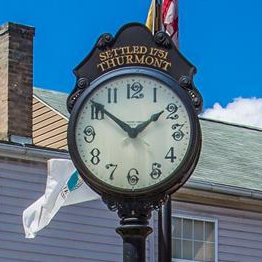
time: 1:51
